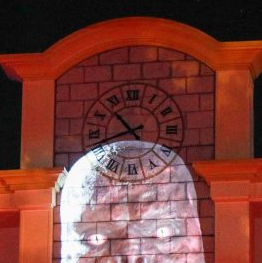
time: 10:41
